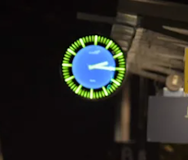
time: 2:15
